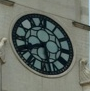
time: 5:40
